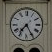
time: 7:25
